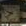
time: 9:38
